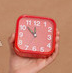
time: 11:52
